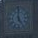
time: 4:59
